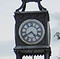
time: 4:40
